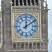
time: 12:09
